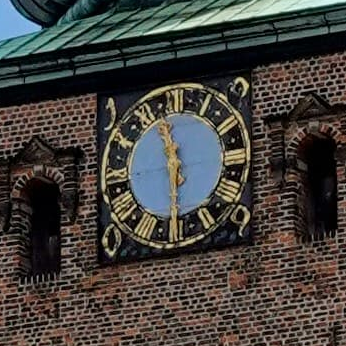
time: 5:57
